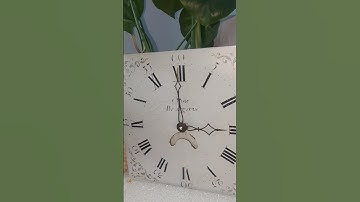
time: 2:59
